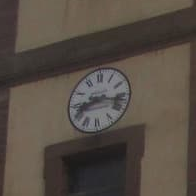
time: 8:16
